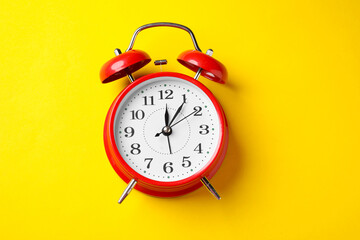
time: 12:05
